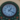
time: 1:20
